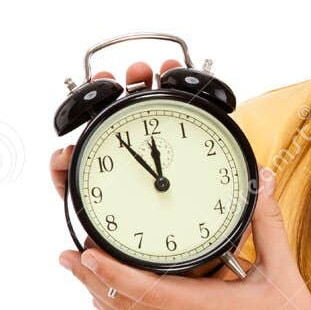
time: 11:54
